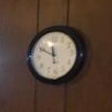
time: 11:50
